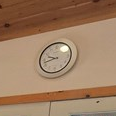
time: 9:42
